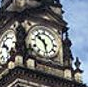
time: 10:28
